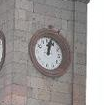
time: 12:02
